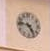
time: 4:46
